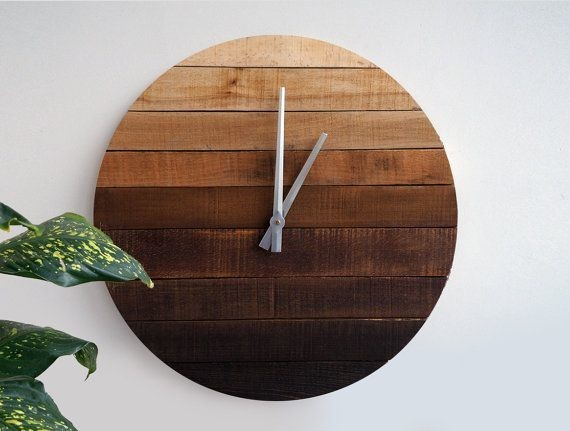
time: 1:00
